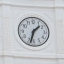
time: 1:32
